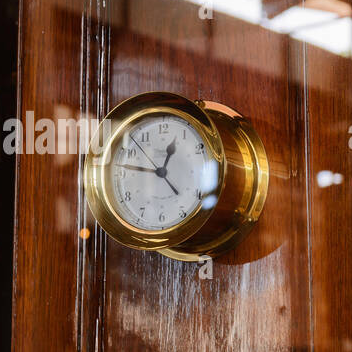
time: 12:46
